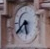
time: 5:38
